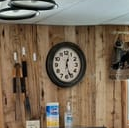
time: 12:26
